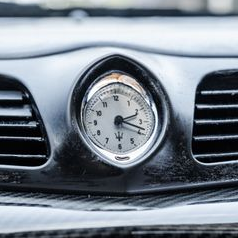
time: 2:18
